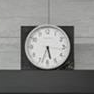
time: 5:33
